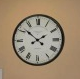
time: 1:51
